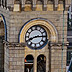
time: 8:14
